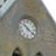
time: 10:21
